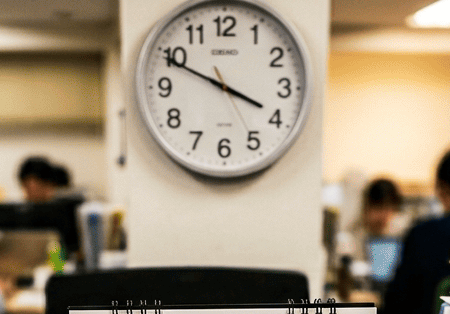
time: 3:49
